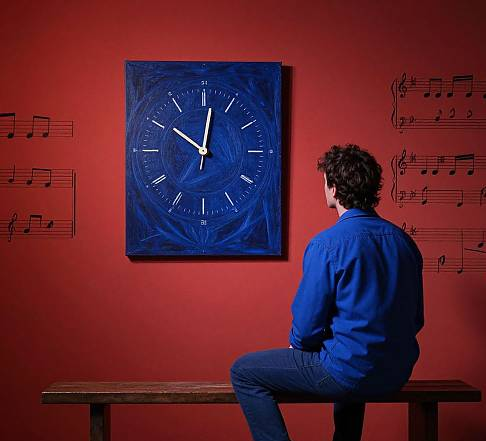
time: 10:01
